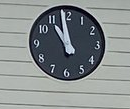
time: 10:58
